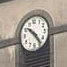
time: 10:24
